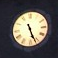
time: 5:26
